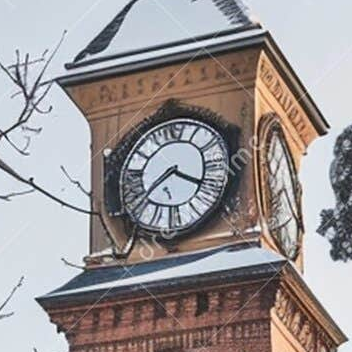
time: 3:39
